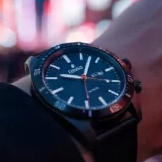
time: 9:02
